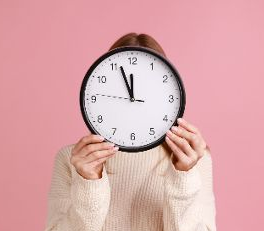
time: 11:56
